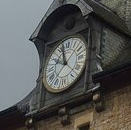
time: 9:57
